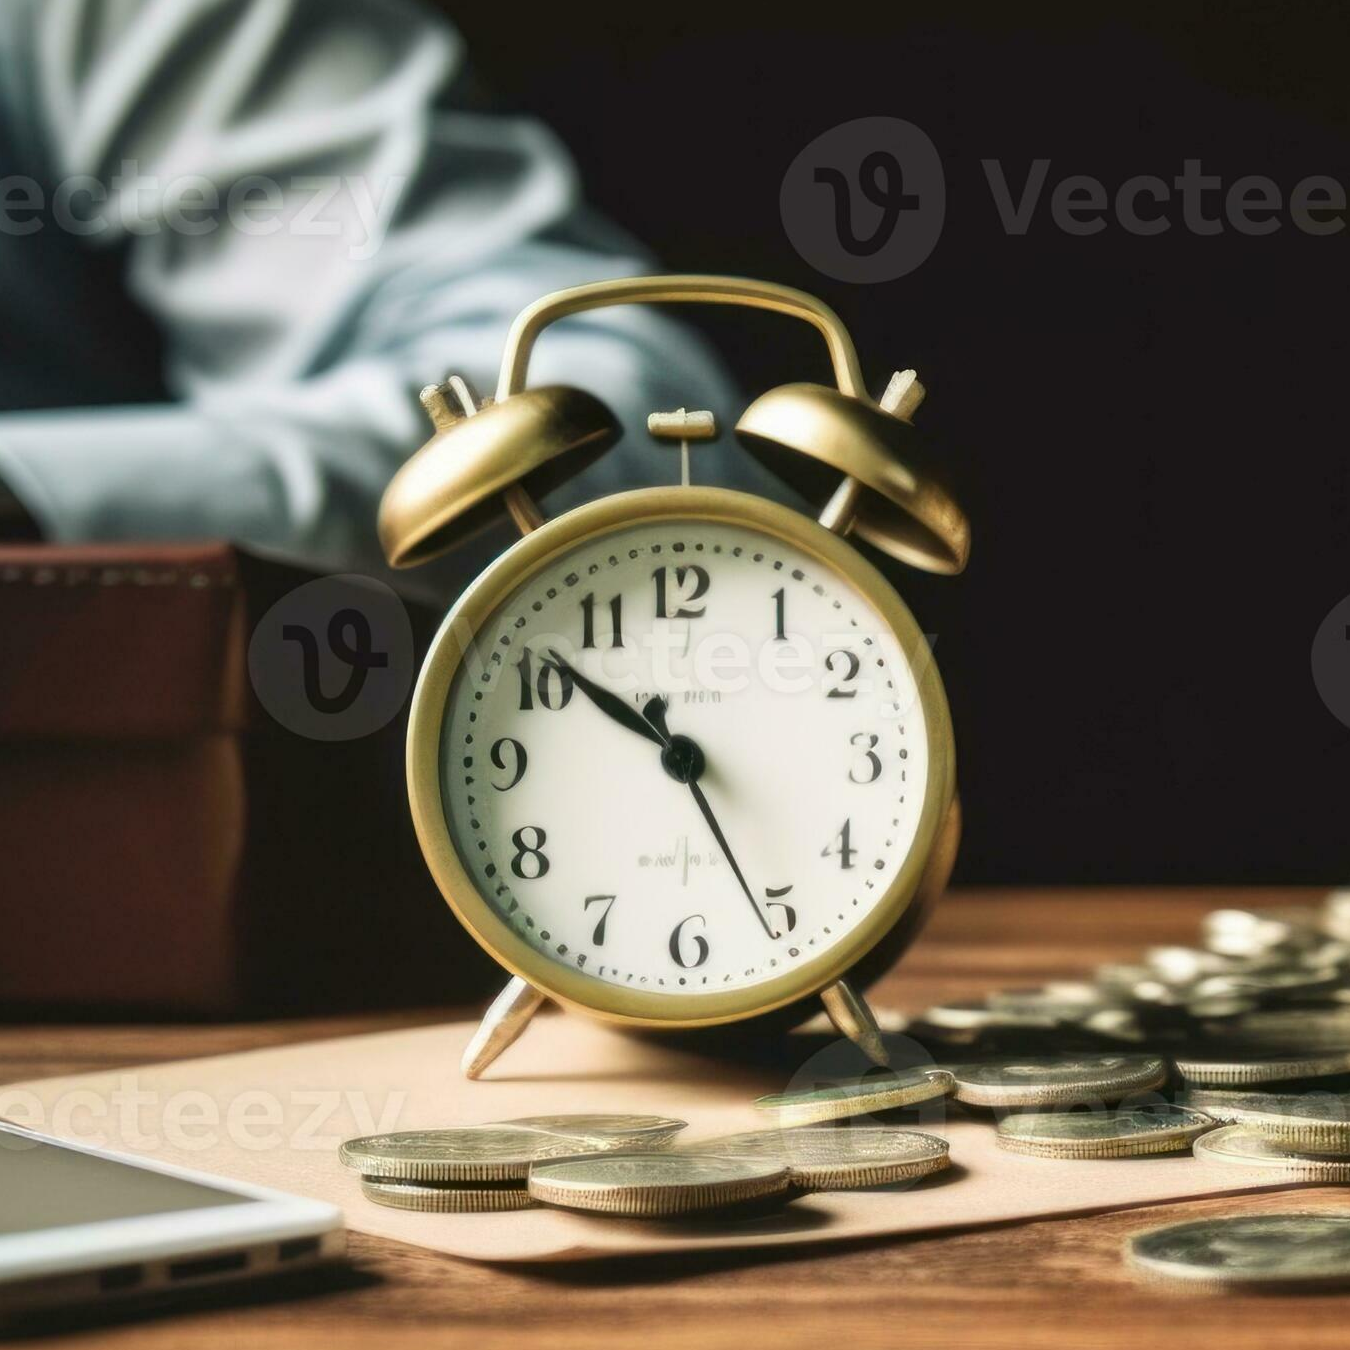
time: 10:25
